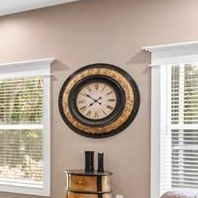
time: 7:51
